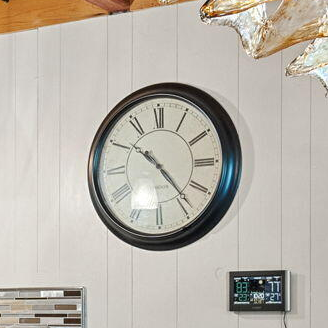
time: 10:23
